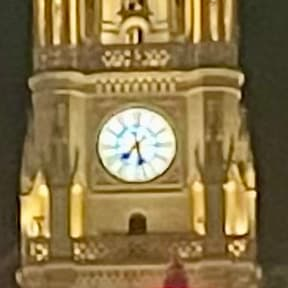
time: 7:27
